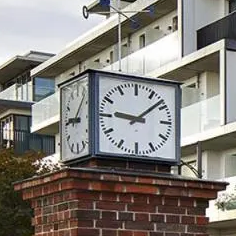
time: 9:08
